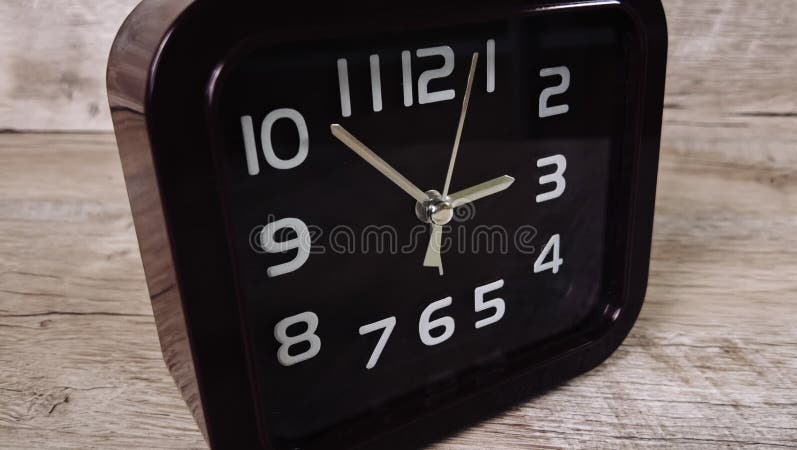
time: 2:52
